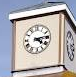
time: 4:13
